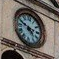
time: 4:48
